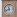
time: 11:41
